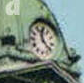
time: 11:22
